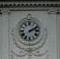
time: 2:11
